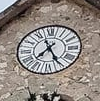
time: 7:25
